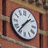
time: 1:36
